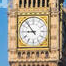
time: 8:53
